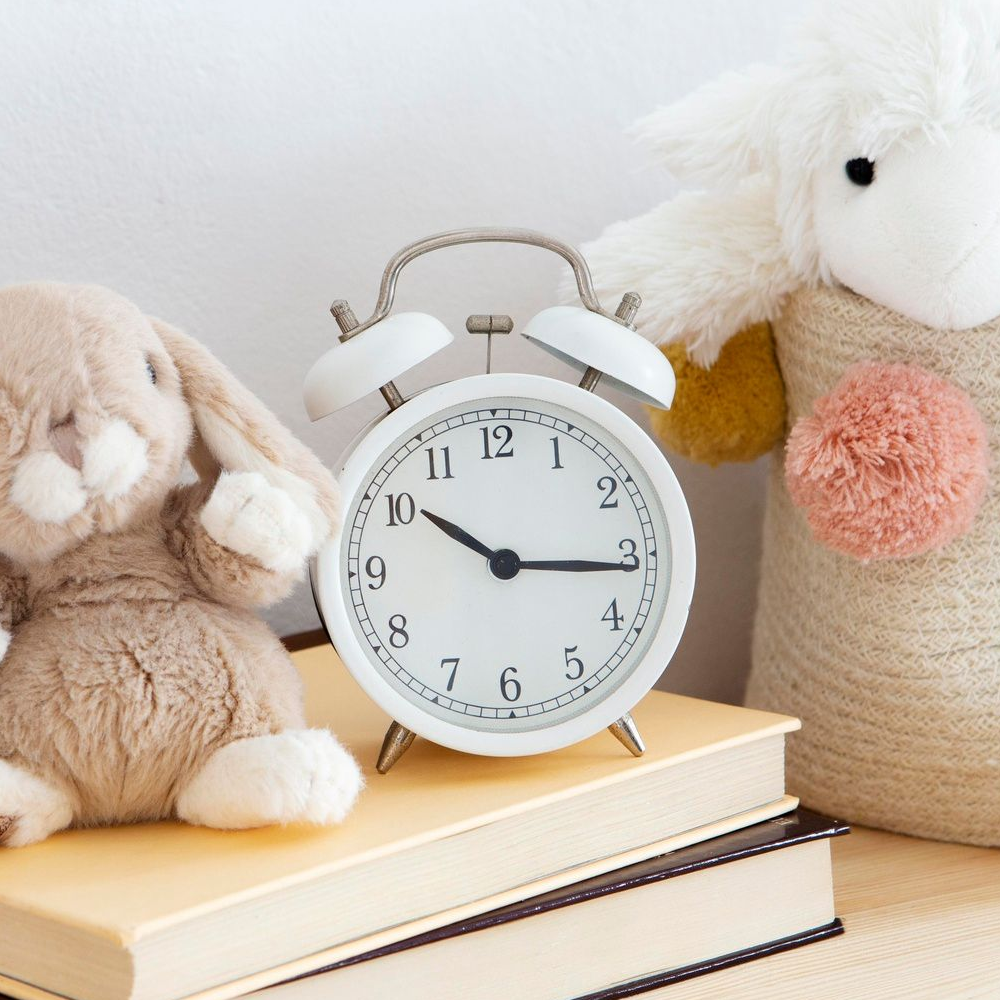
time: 10:15
